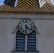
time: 4:31
